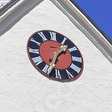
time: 1:34
